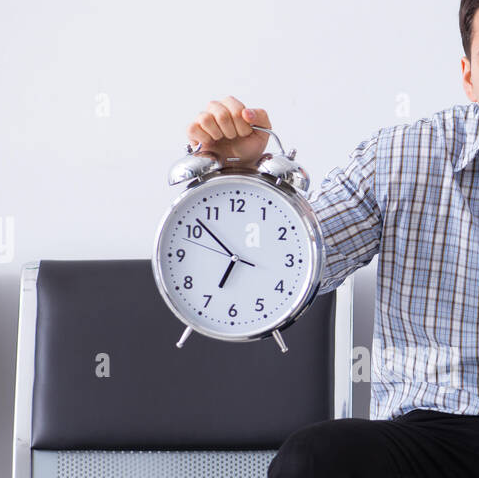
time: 6:52
